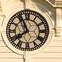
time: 7:55
